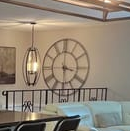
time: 3:29
